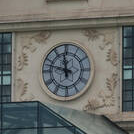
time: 11:47
